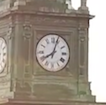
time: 8:03
